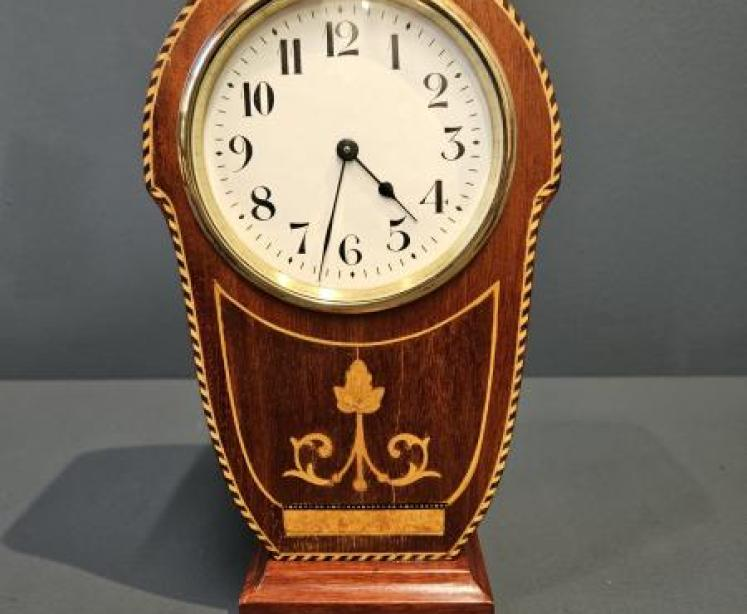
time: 4:32
